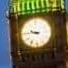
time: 9:45
